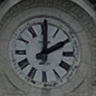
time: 2:00
